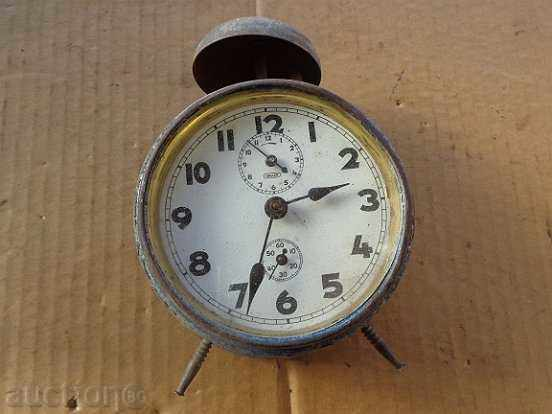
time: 2:33
